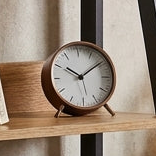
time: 10:09
